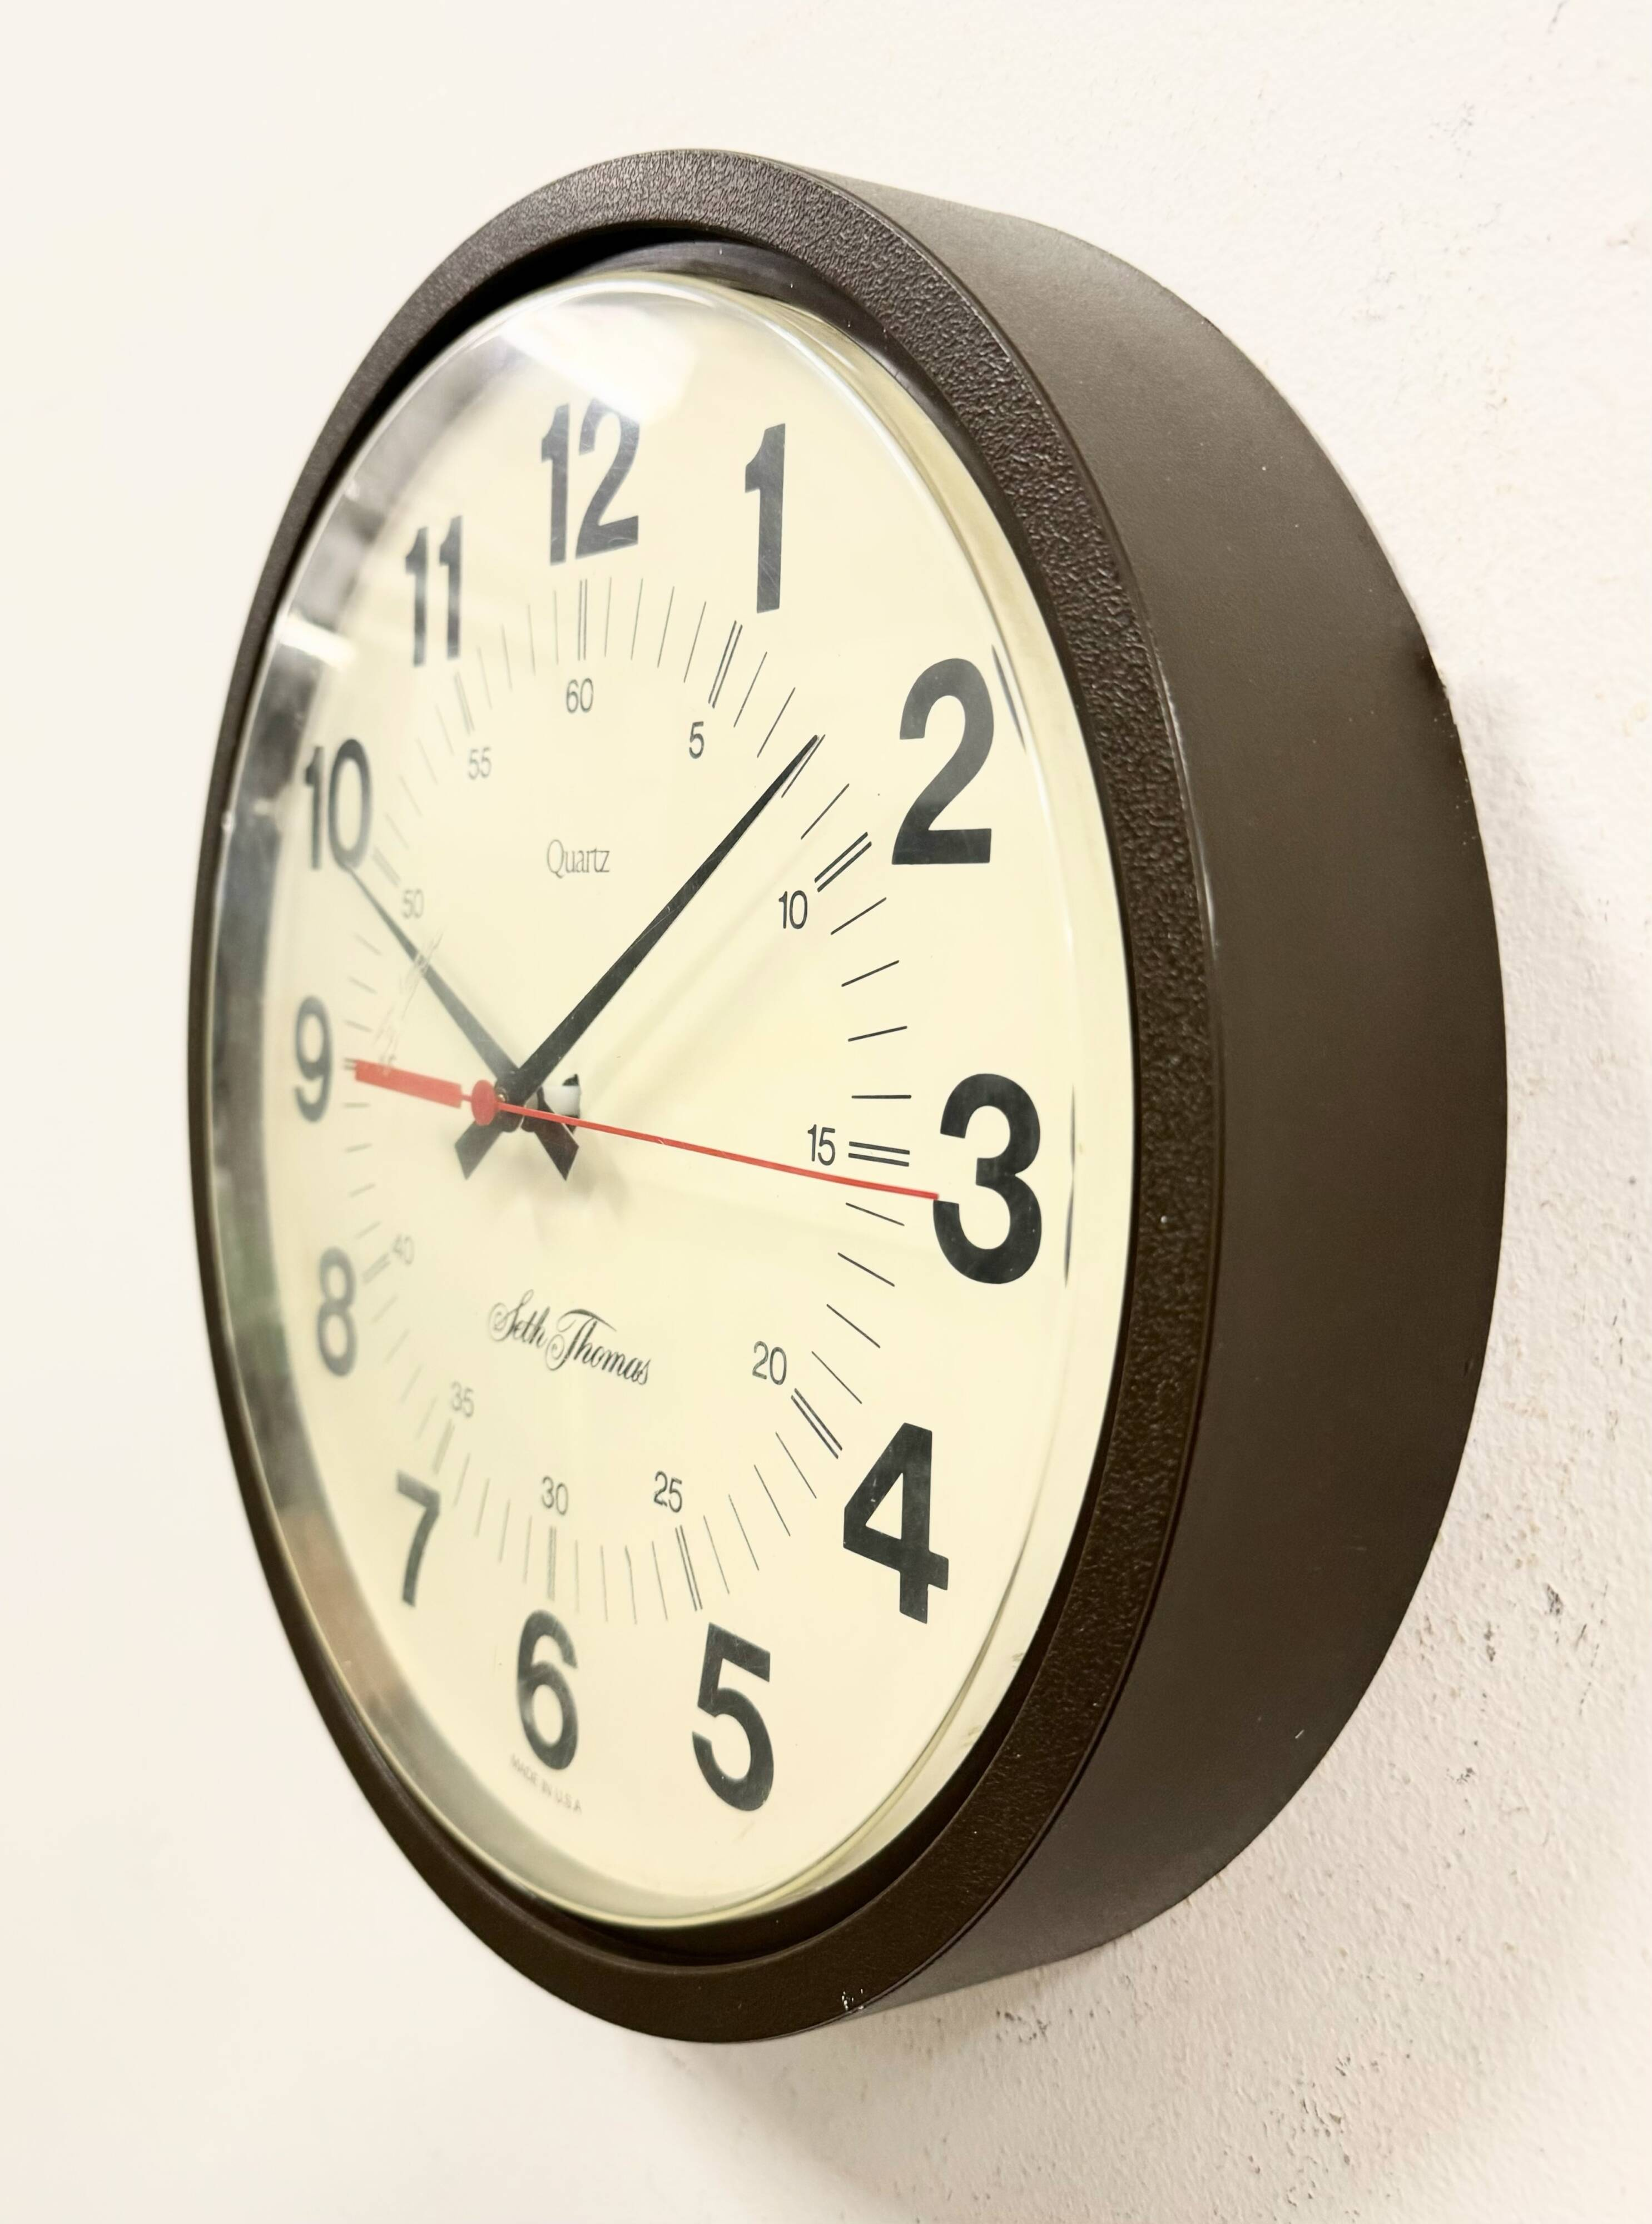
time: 8:08
